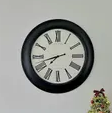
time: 7:42
